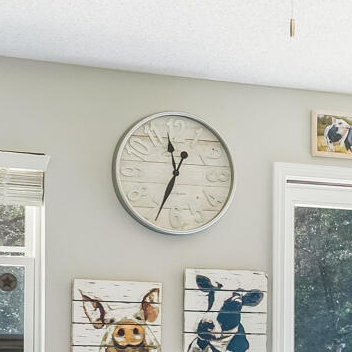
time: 11:34
